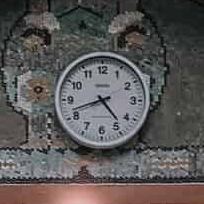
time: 4:42
